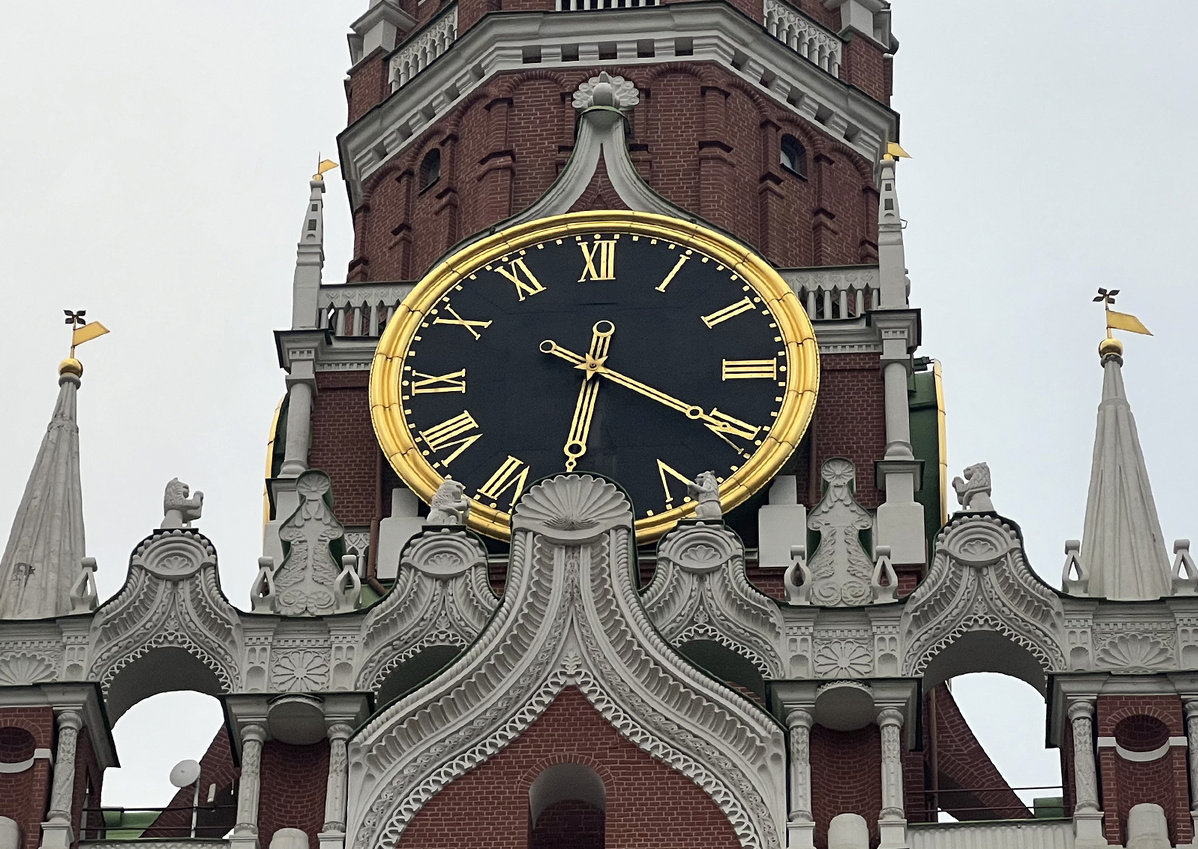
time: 6:20
